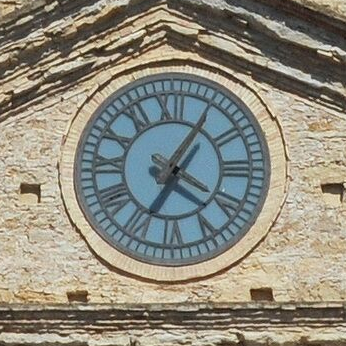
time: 4:05
